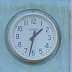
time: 1:32
